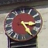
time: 3:24
